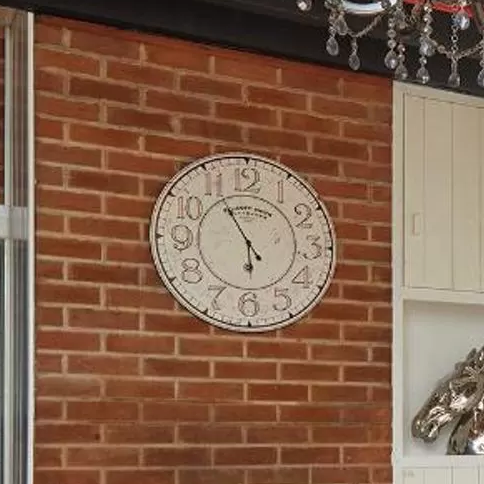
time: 5:54
